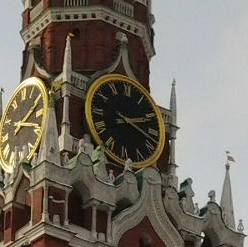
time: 2:18
